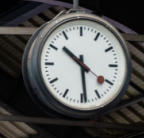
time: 10:29
